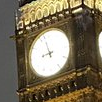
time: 8:57
